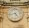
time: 4:42
